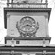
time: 3:40
